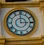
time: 2:59
